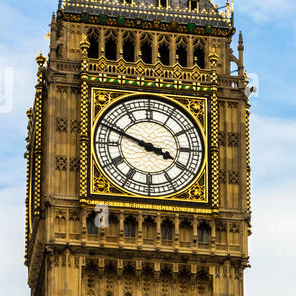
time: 3:48
